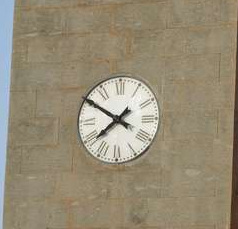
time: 7:50
